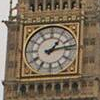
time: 1:13
